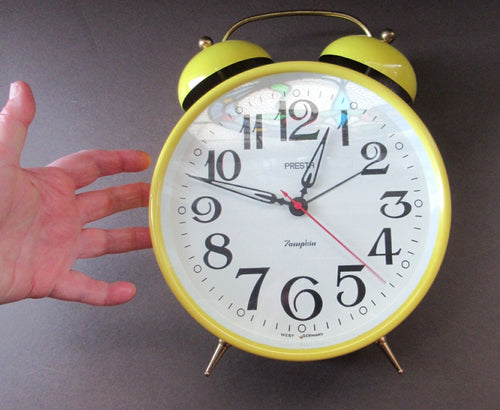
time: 12:47
